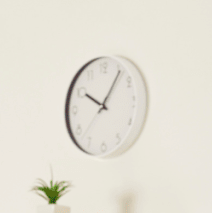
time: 10:05
